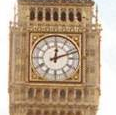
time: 12:11
